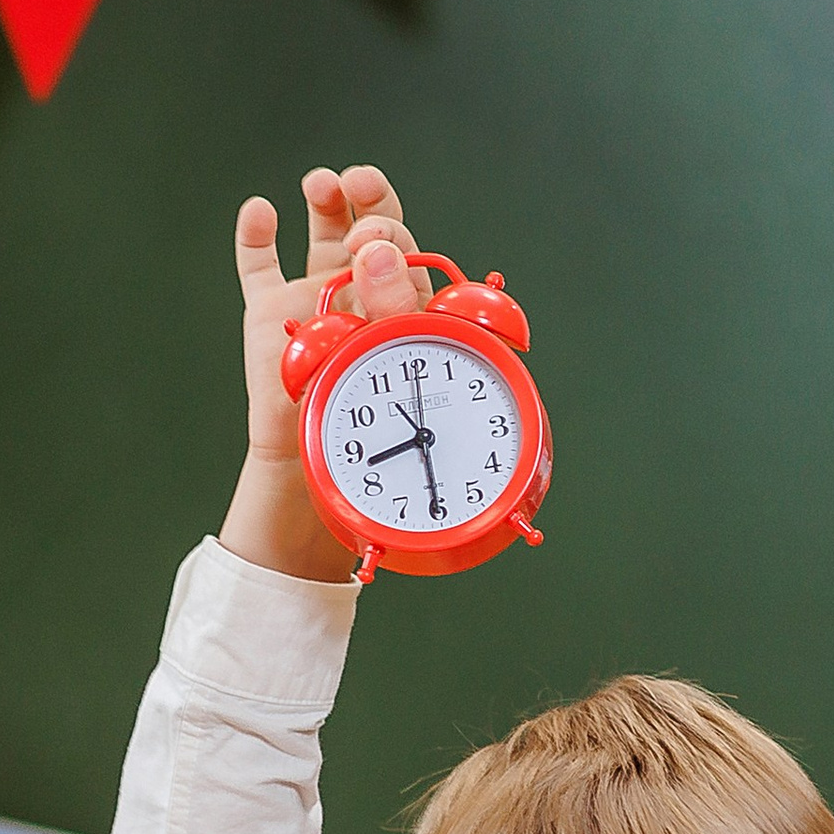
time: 8:30
